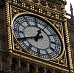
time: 12:41
